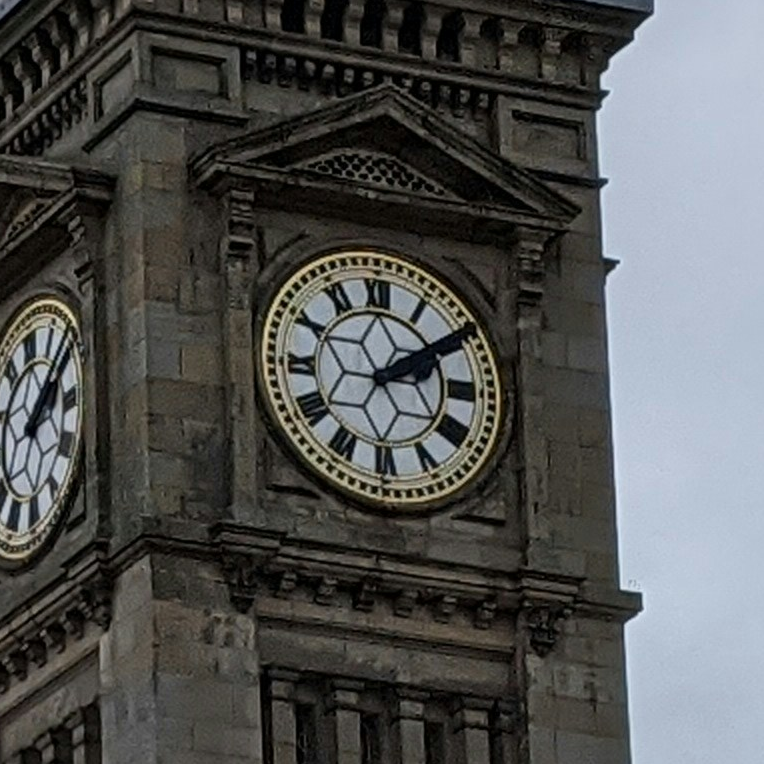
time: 2:09
